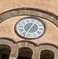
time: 12:33
